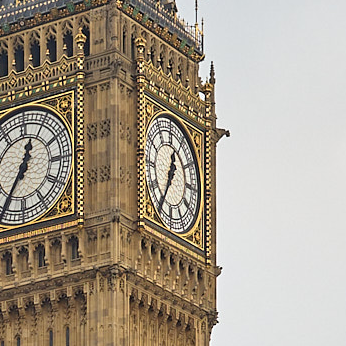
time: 12:34
